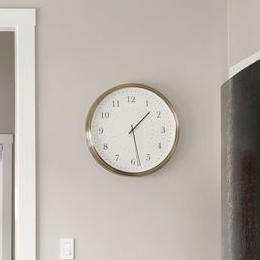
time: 1:28
